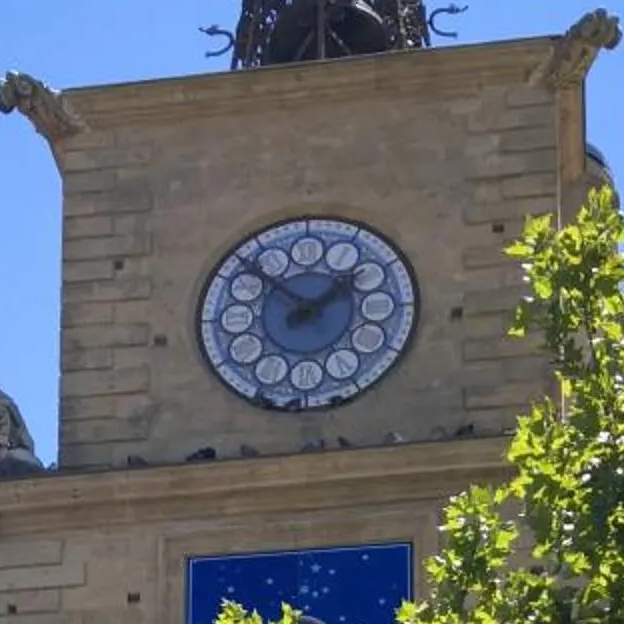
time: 1:52
